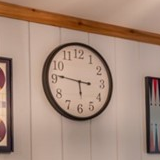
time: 5:46
